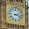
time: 2:18
